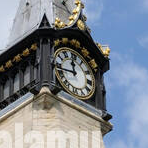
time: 11:43
